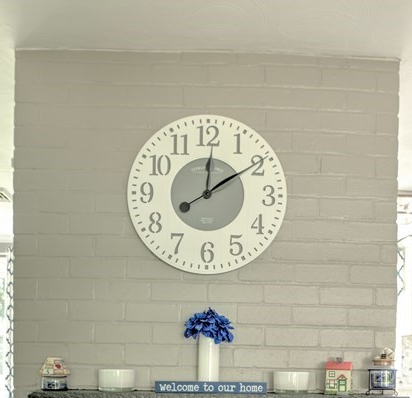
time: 12:09
